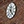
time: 12:24
